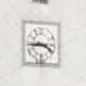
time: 3:43
